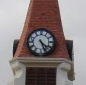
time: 4:26
